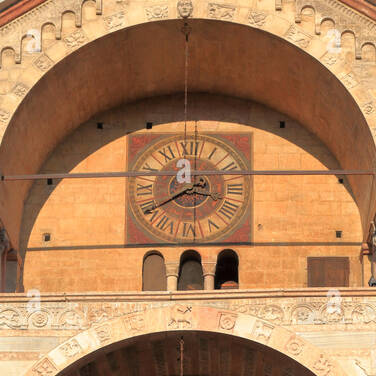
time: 3:39
